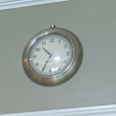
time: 10:35
